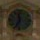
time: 11:35
